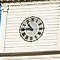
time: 10:45
